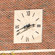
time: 2:42
